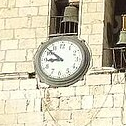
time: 8:52
